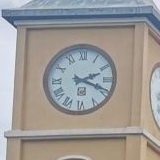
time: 2:18
